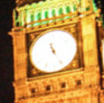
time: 11:25
